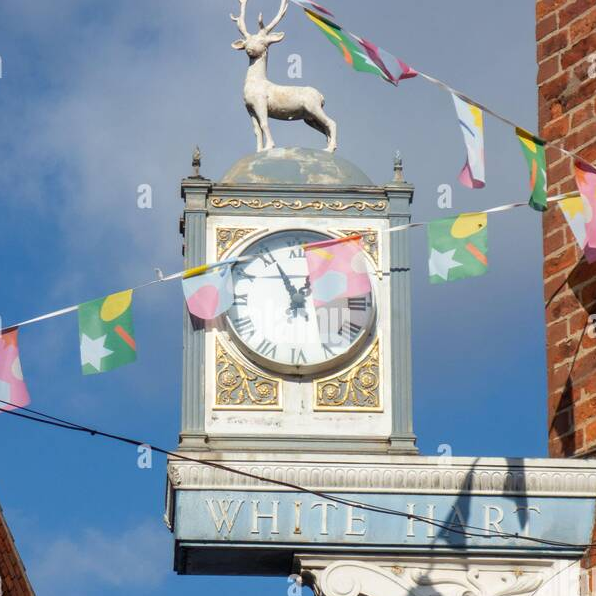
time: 12:55
